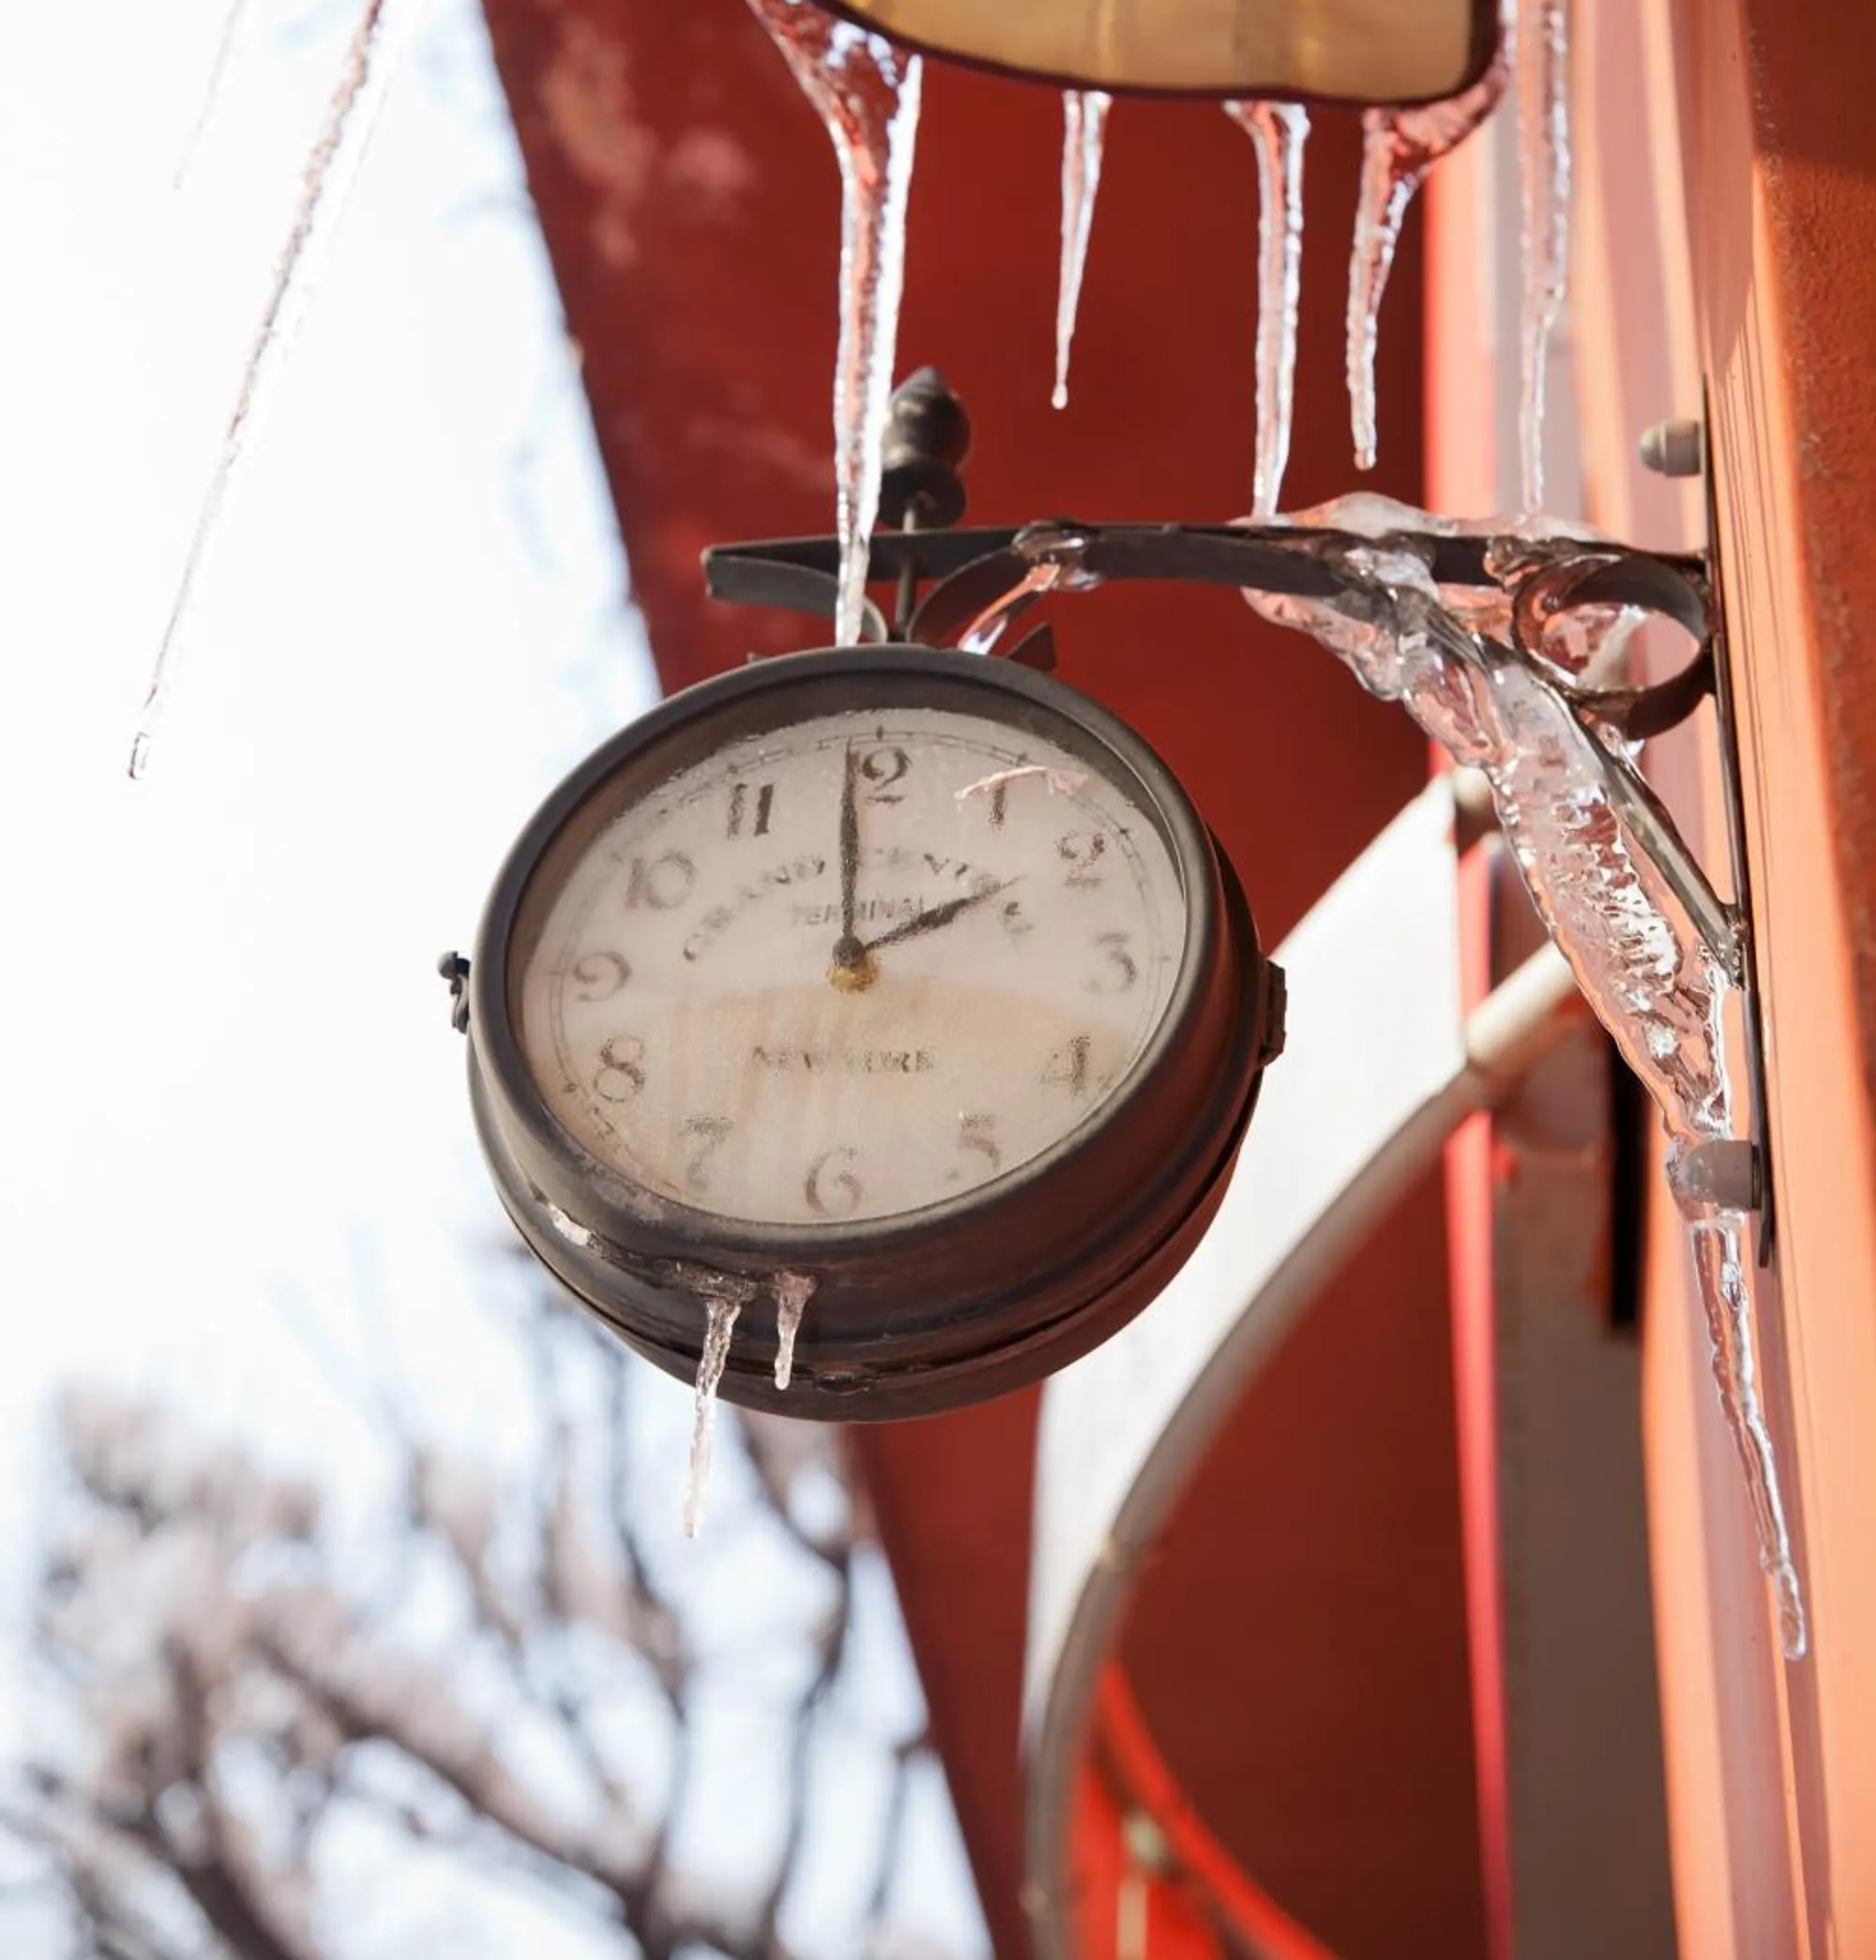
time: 1:59
